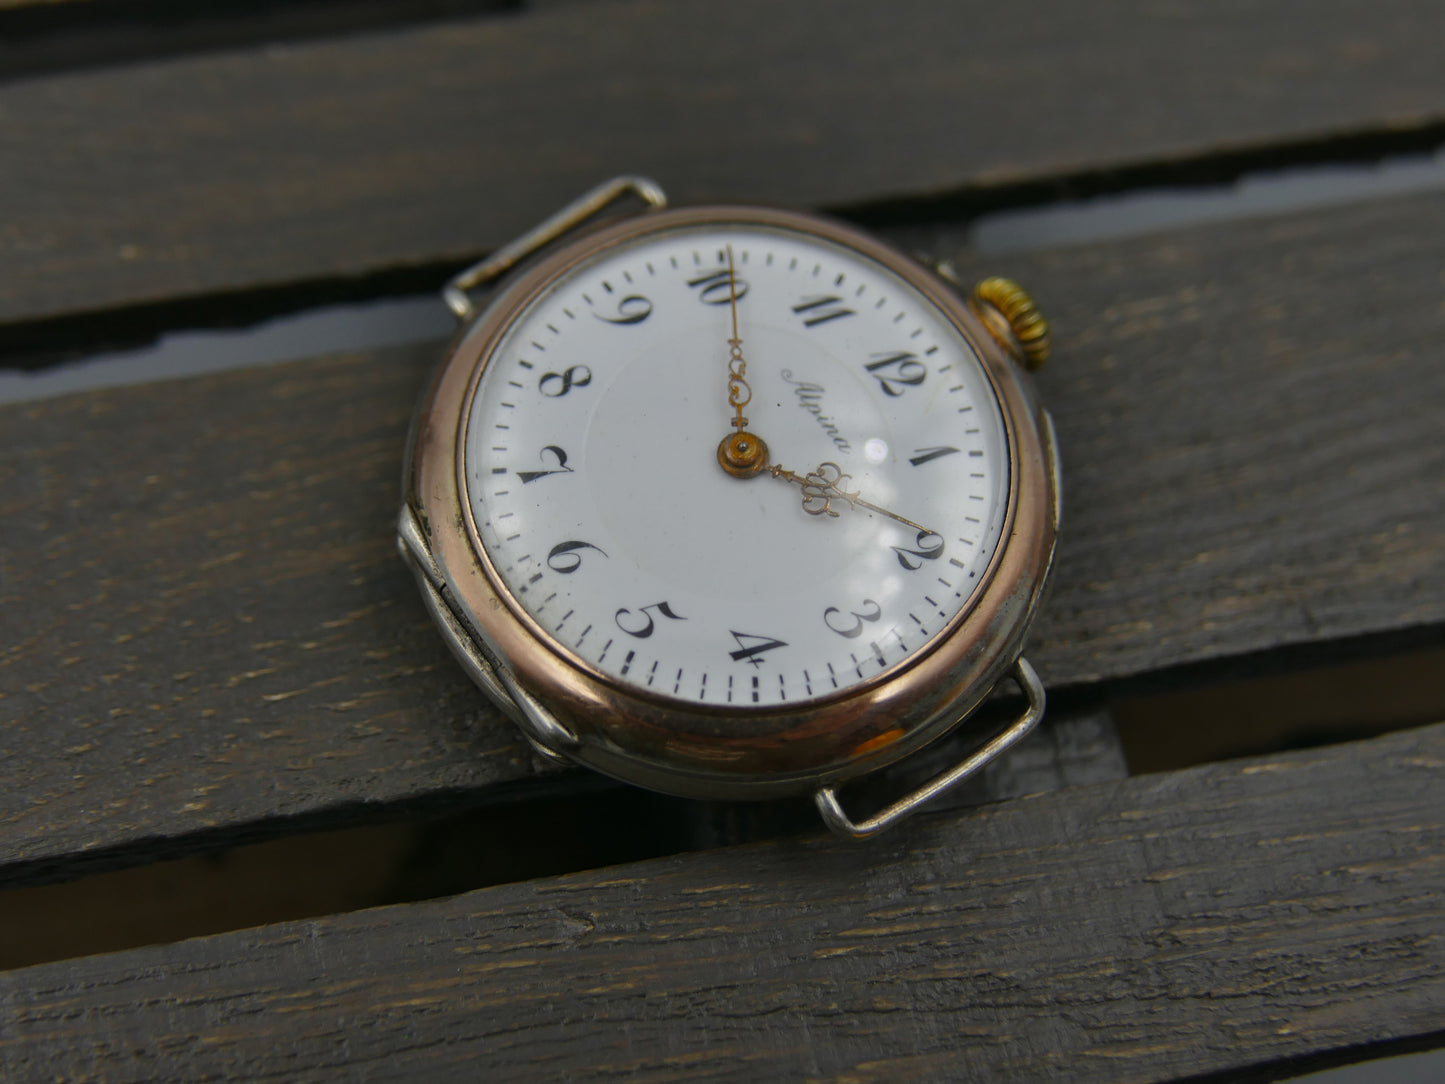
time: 4:00
